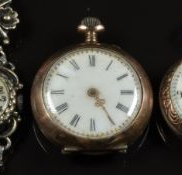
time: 4:24
